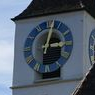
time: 3:02
